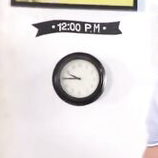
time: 9:45
